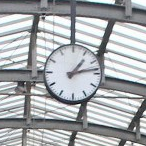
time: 1:13
